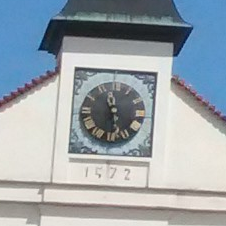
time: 11:28
